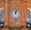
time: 12:03
